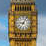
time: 9:05
